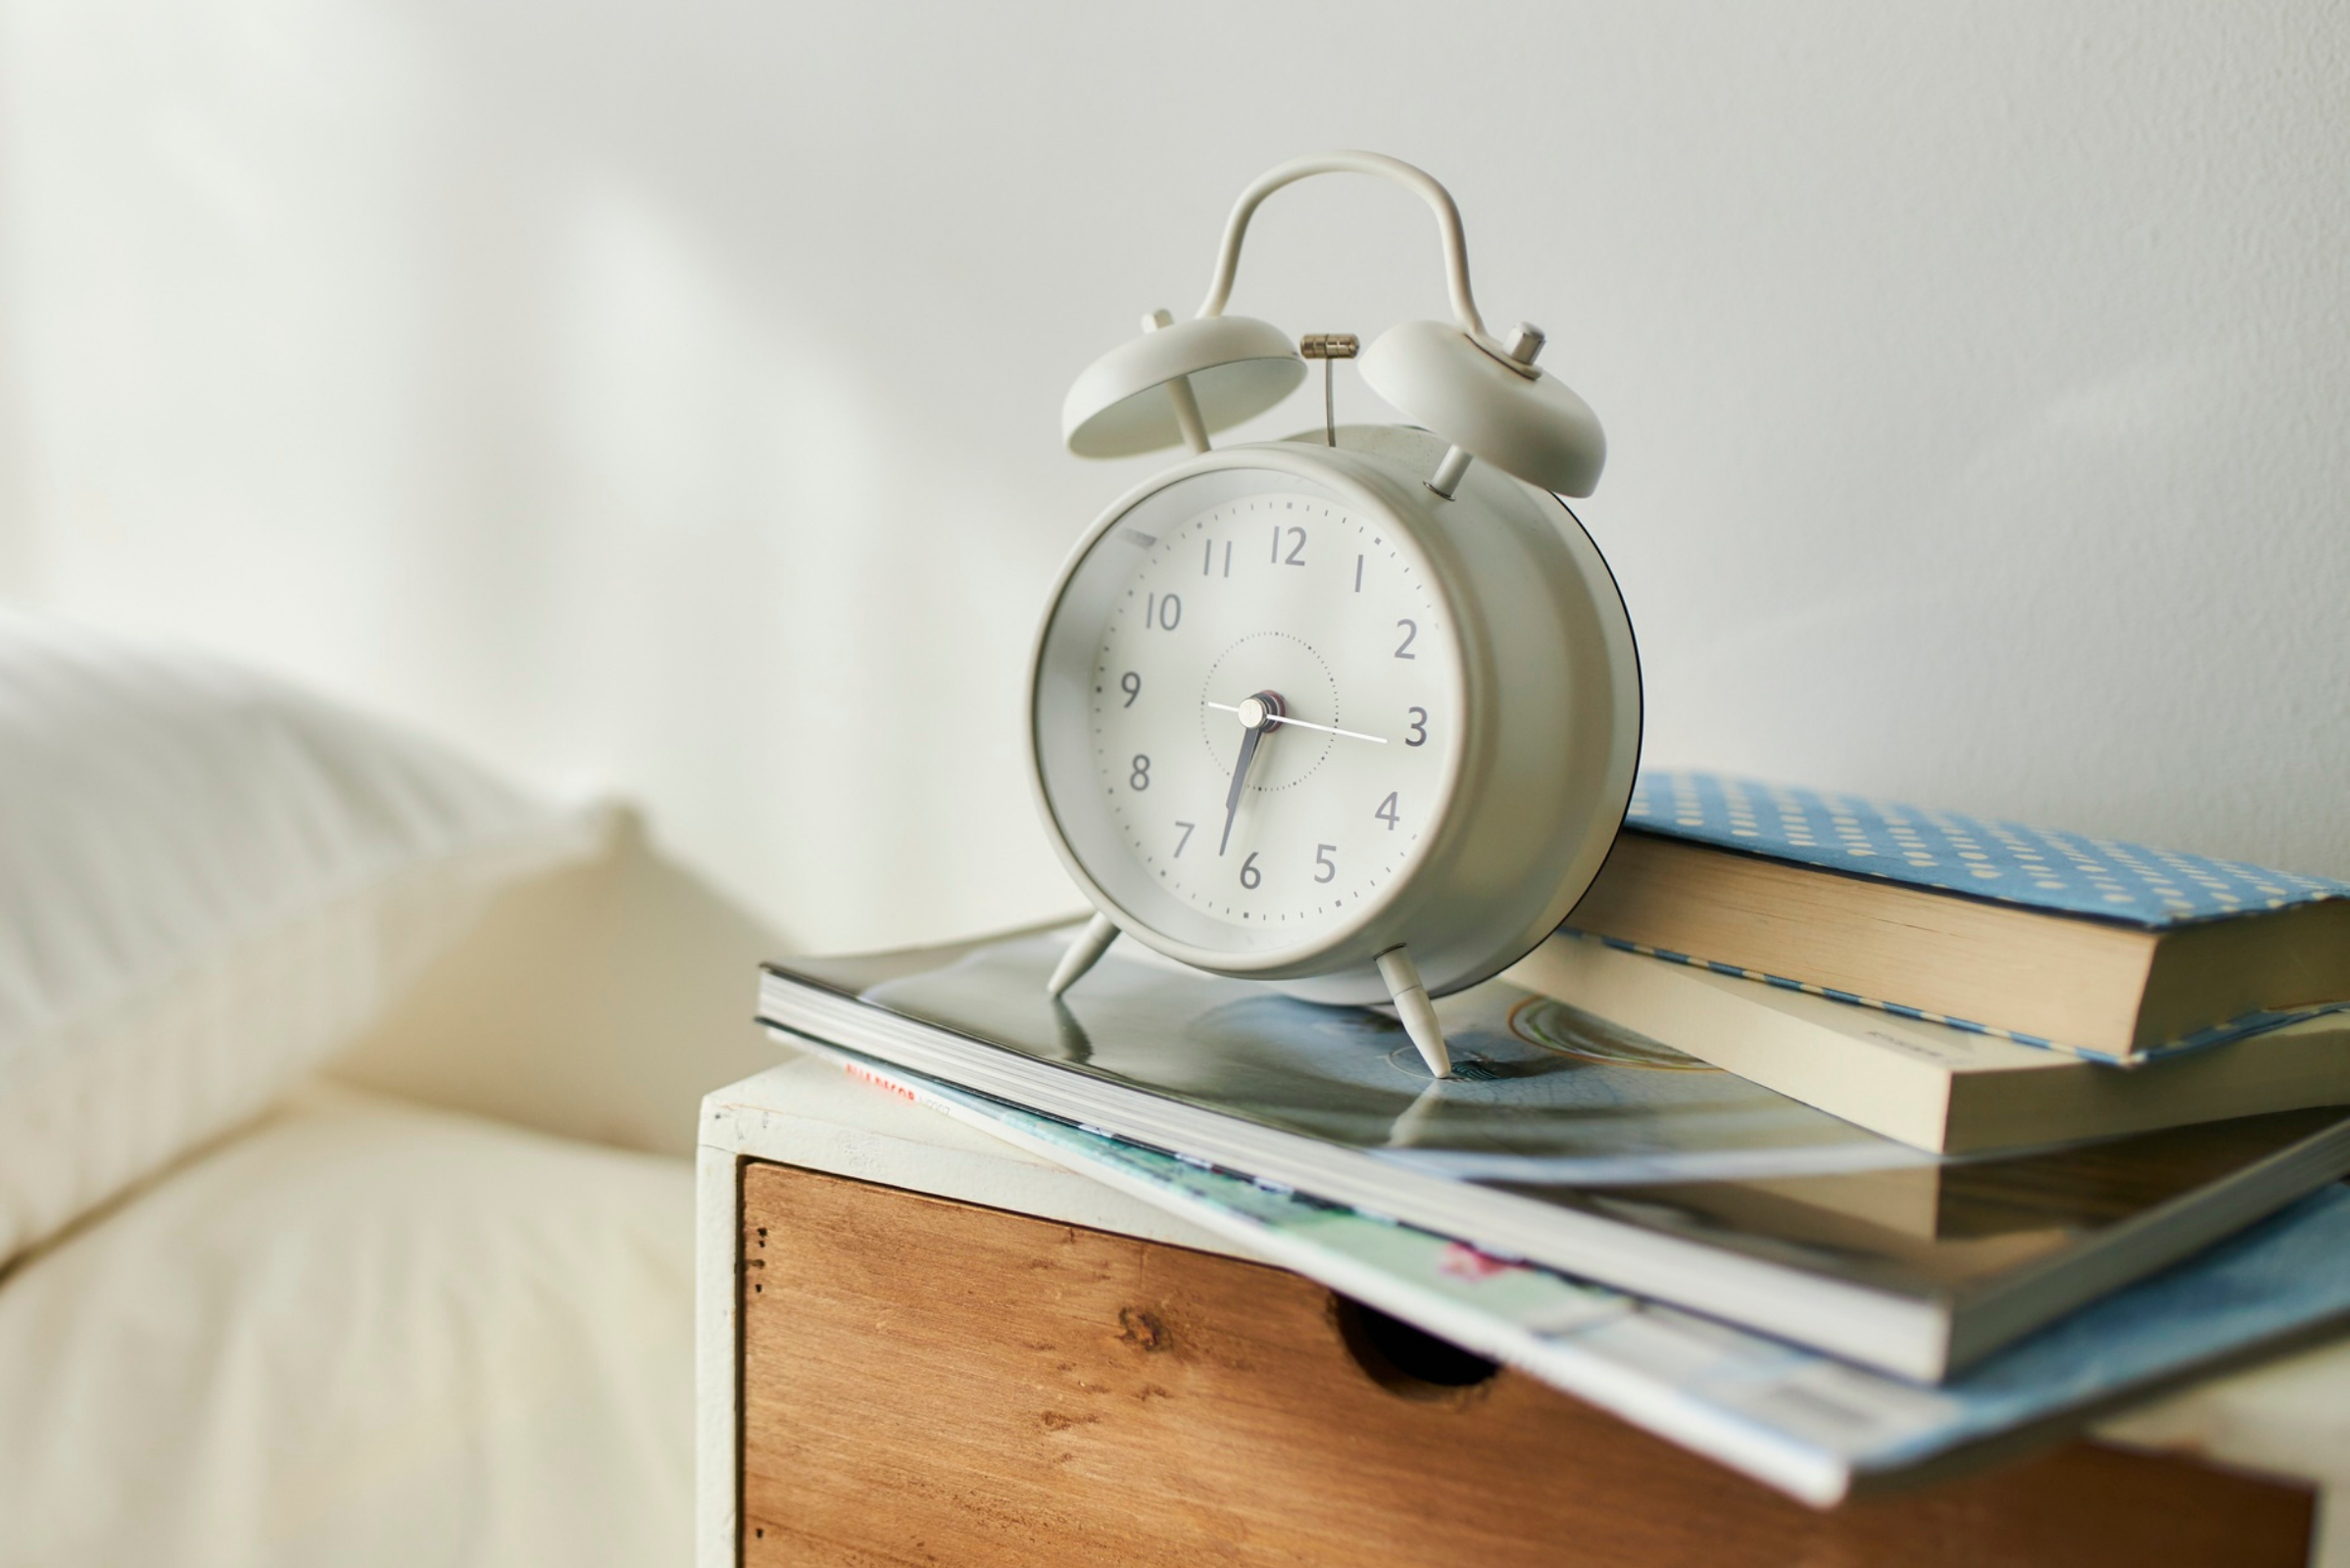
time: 6:15
